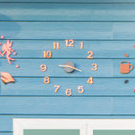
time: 9:17
